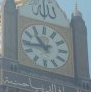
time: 10:43
